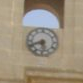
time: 5:41
